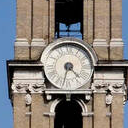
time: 4:32
